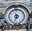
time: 11:33
